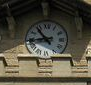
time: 10:42
